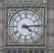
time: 4:13
